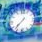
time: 7:37
